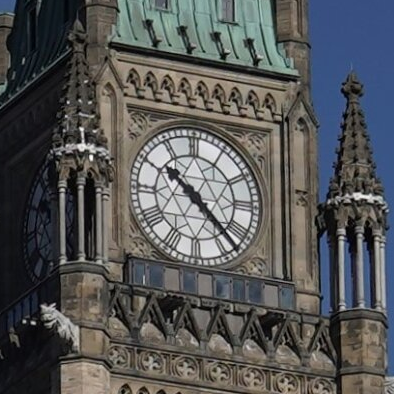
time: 10:22
